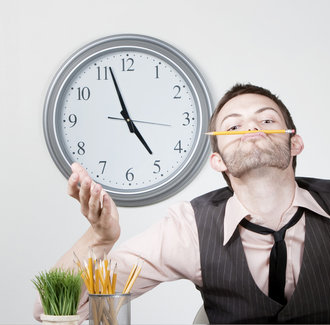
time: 4:56
